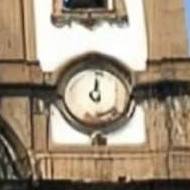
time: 11:59
